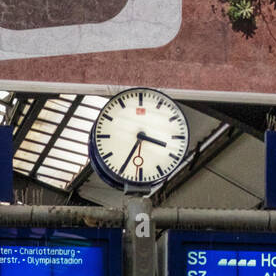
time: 3:34
